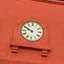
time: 9:50
